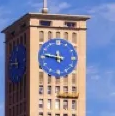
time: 11:46
